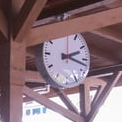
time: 2:17
